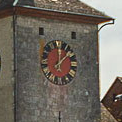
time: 12:07
